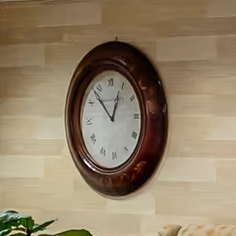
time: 12:52
